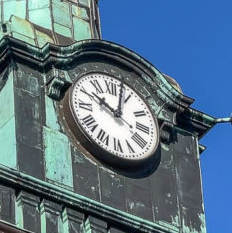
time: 10:02
